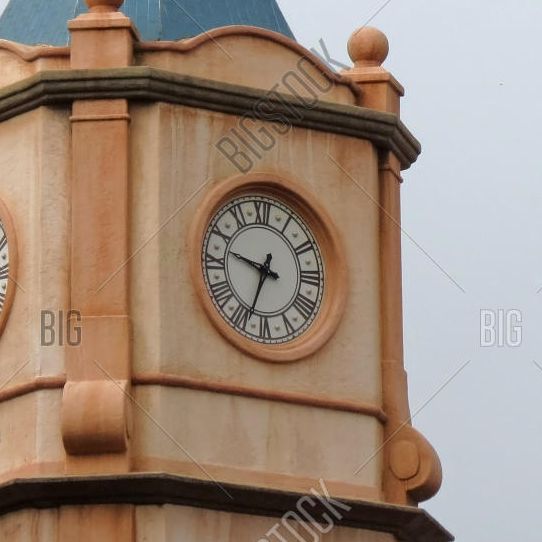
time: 9:33
